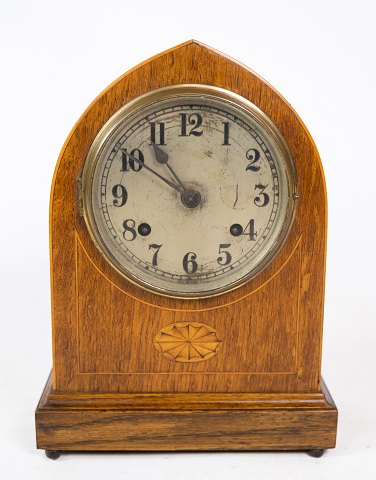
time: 10:50
